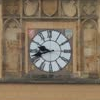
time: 9:42
